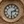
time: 2:29
